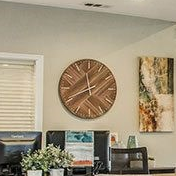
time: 11:40
